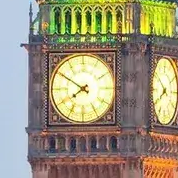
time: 7:50
